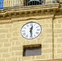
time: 12:28
